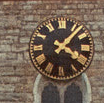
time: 4:07
